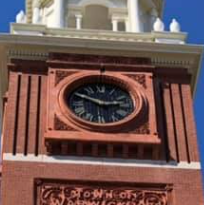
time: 2:48
